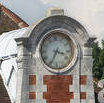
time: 3:34
